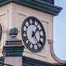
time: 1:23
